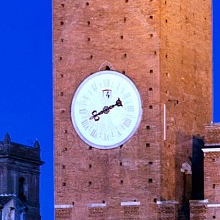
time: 8:11
